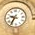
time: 9:36
